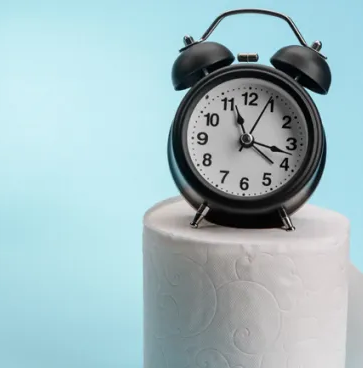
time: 11:17
